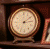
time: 3:09
